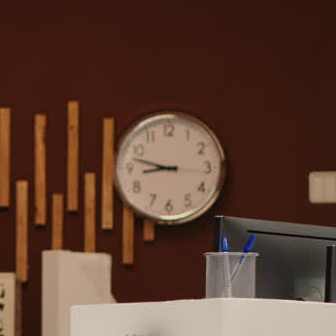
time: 8:47
